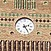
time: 2:24
